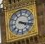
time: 4:17
